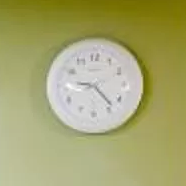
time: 9:22
